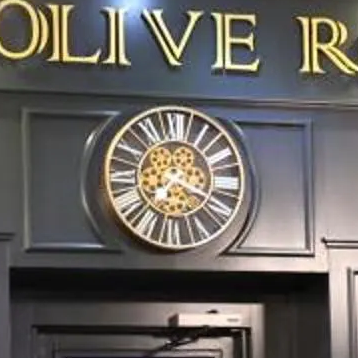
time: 7:18
